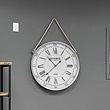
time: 10:37
